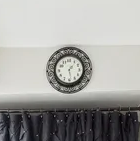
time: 1:28
